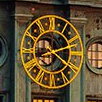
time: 8:20
